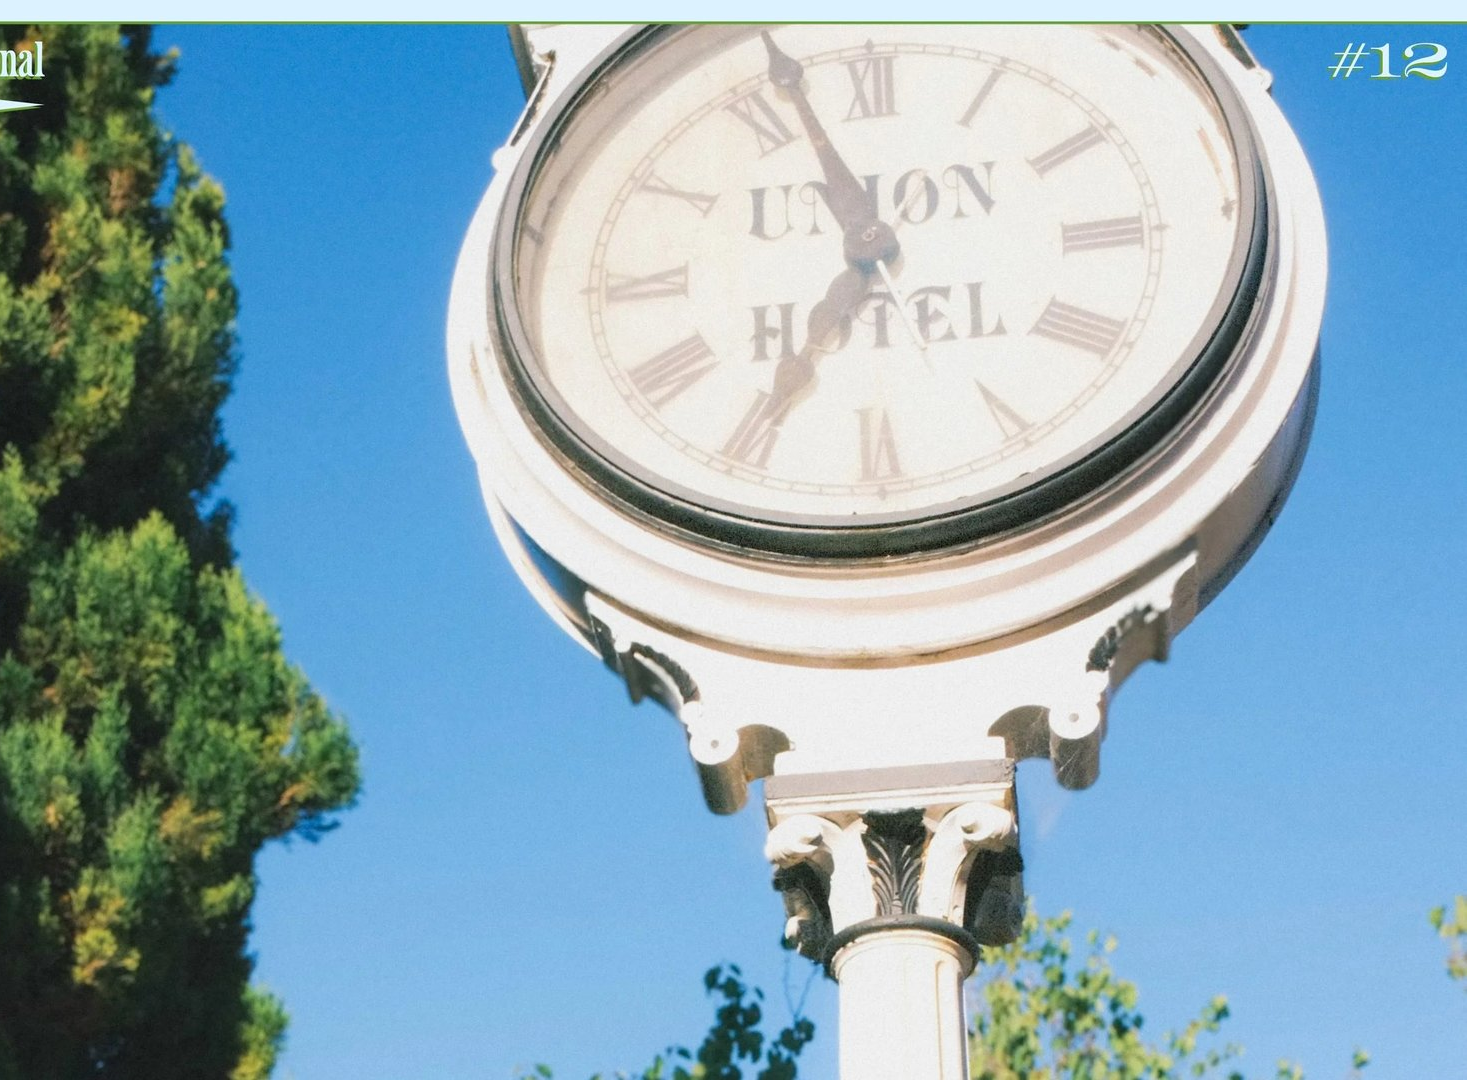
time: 6:56
